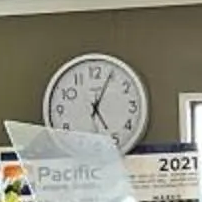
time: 5:04
